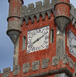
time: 8:11
